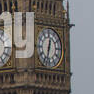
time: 12:32
